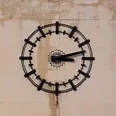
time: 3:12
